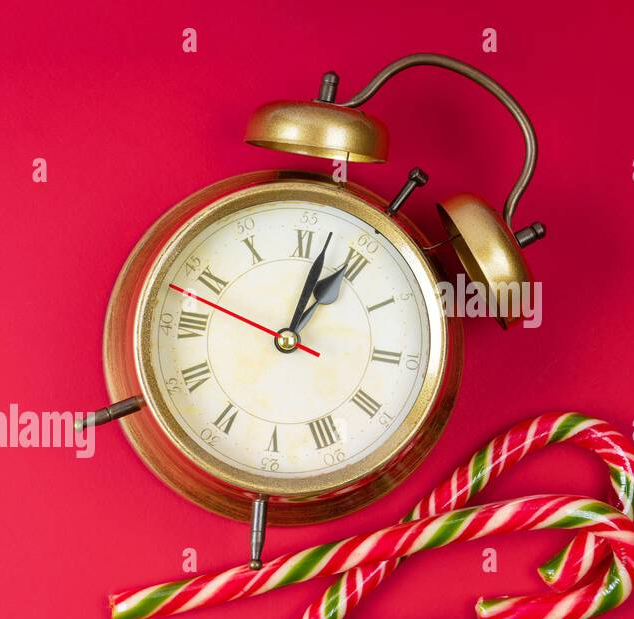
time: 1:02
